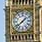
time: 1:38
